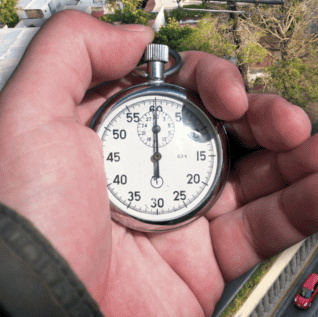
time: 6:00
